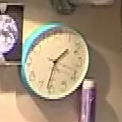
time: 1:32
